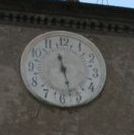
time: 11:27
